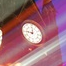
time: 9:01
